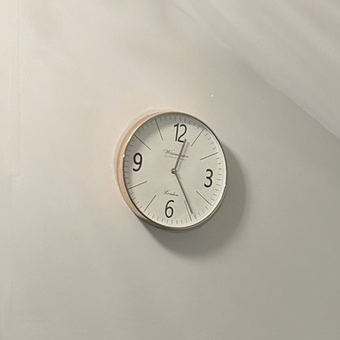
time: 12:24
